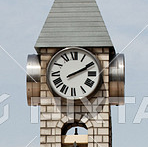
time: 2:10
